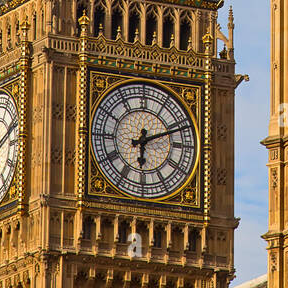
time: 6:11
